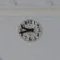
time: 9:42
